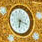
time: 6:17
